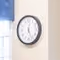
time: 12:26
